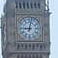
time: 9:01
